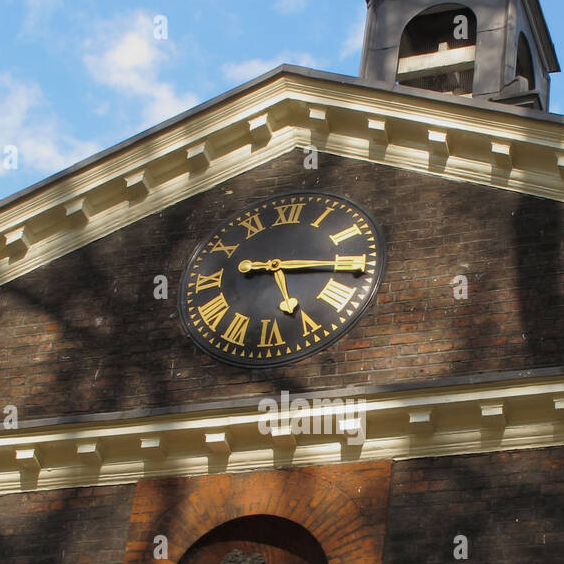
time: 5:15
